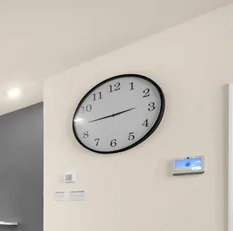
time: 2:44
